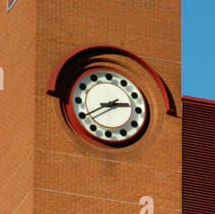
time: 2:39
